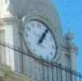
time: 1:06
